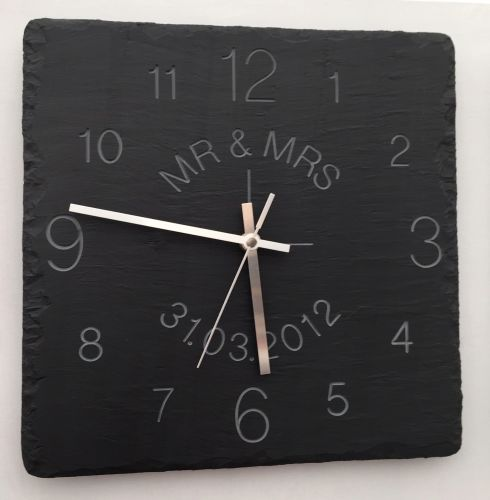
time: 5:46
